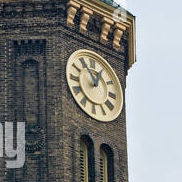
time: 12:54
